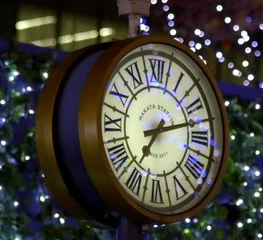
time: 7:12
